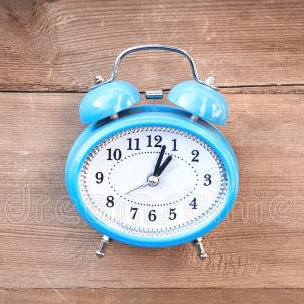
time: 1:02
